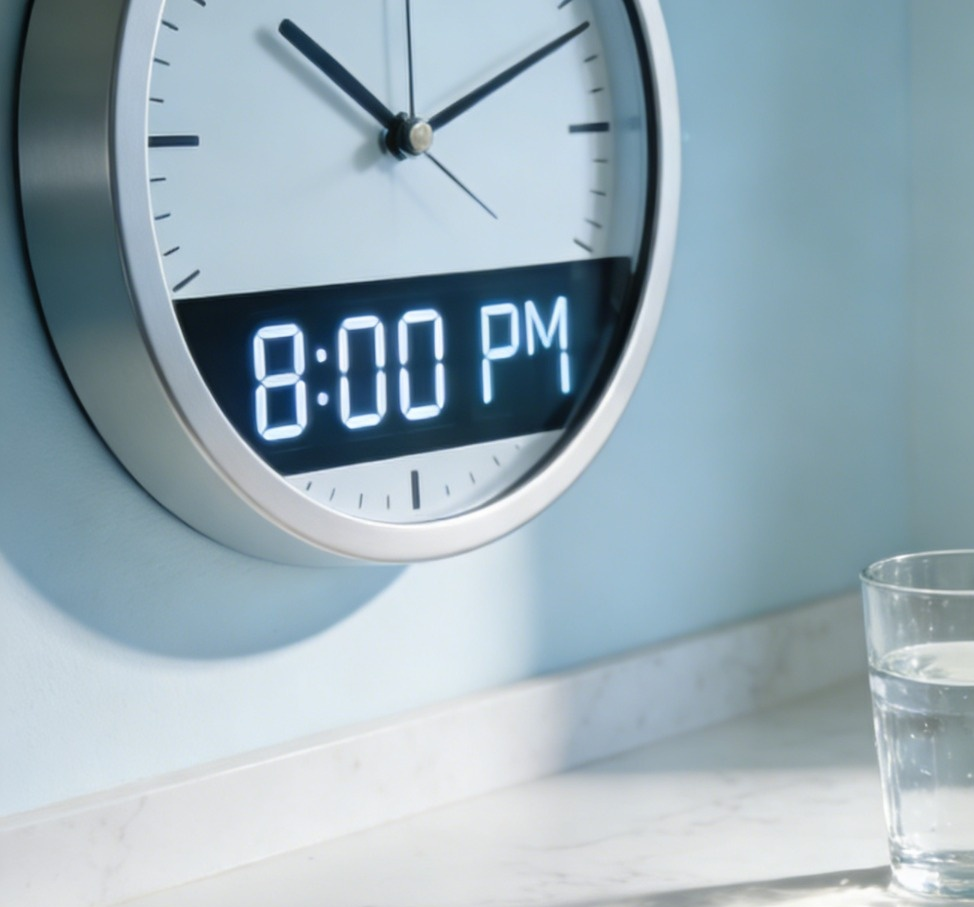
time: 10:10
